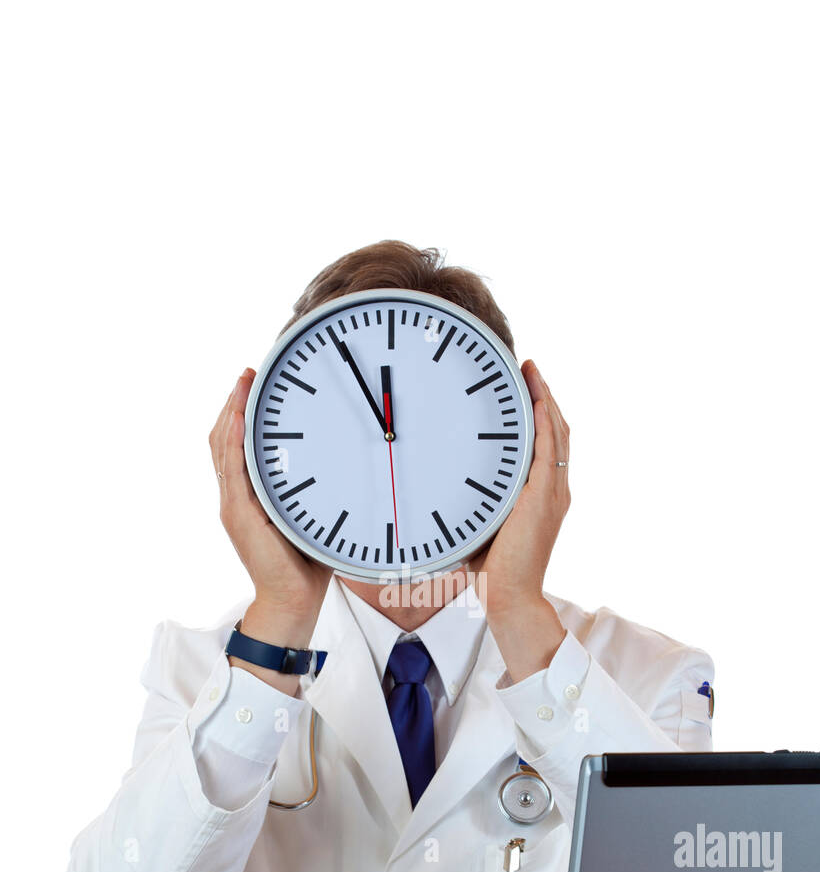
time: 11:54
